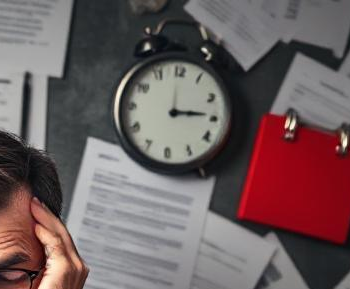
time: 2:59
